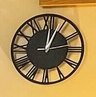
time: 1:01
